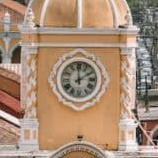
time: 1:59
